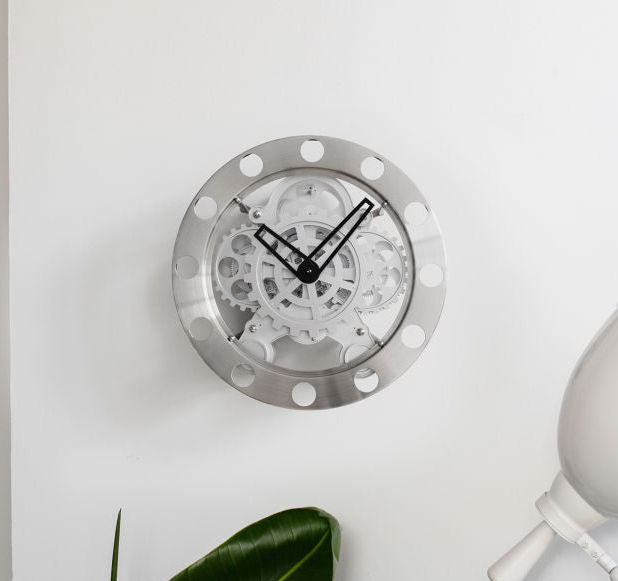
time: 10:07
